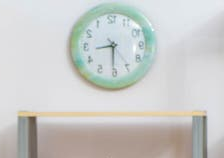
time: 8:29
